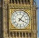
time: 4:06
